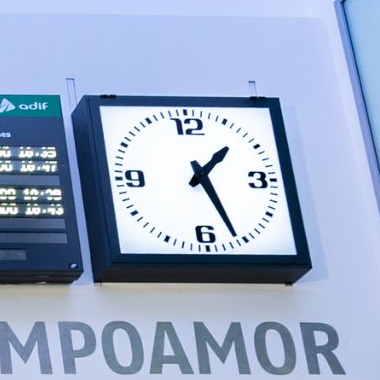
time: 1:26
